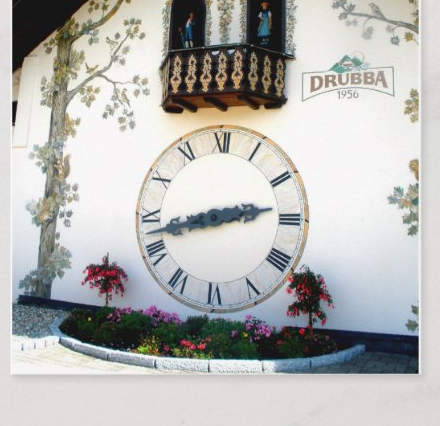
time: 2:42
